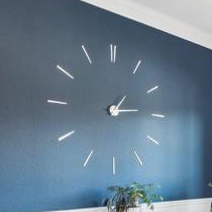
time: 1:14
